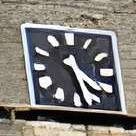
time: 4:27
